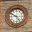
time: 4:50
